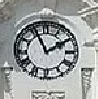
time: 1:55
